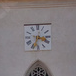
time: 3:33
